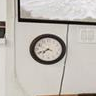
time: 7:41
